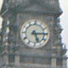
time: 5:14
